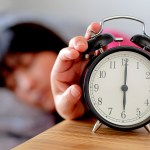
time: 6:00
